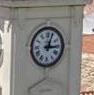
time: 3:03
